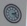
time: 2:21
